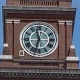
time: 11:32
